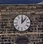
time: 12:07
